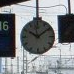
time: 10:08
